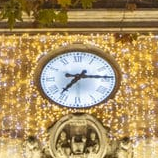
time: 7:14
